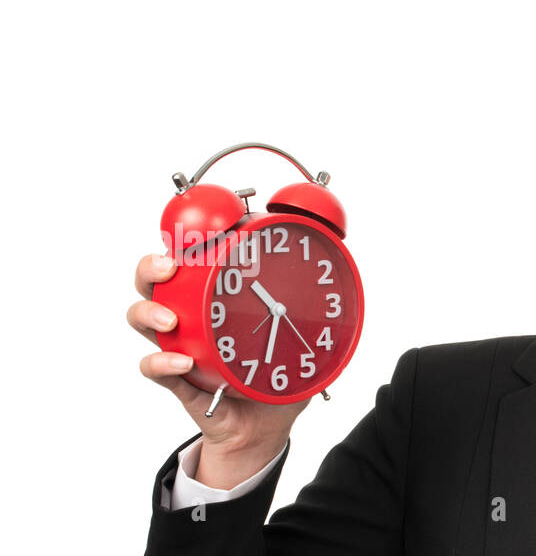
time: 10:32
